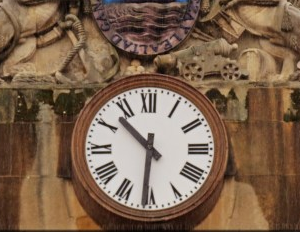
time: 10:31
